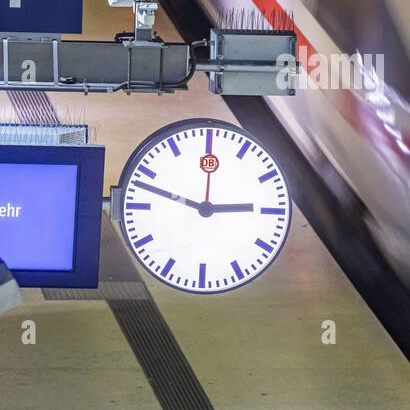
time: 2:48
